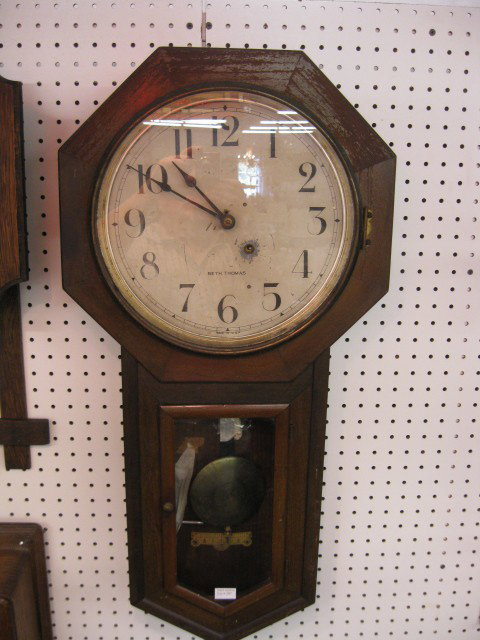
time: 10:50
